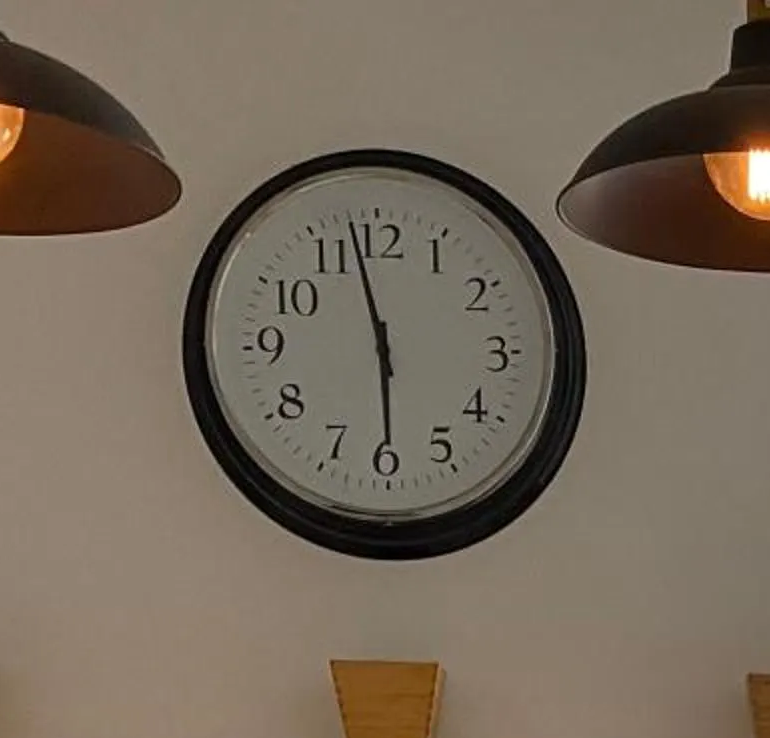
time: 5:57
